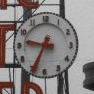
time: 9:34
